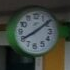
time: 8:09
